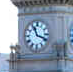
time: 11:18
